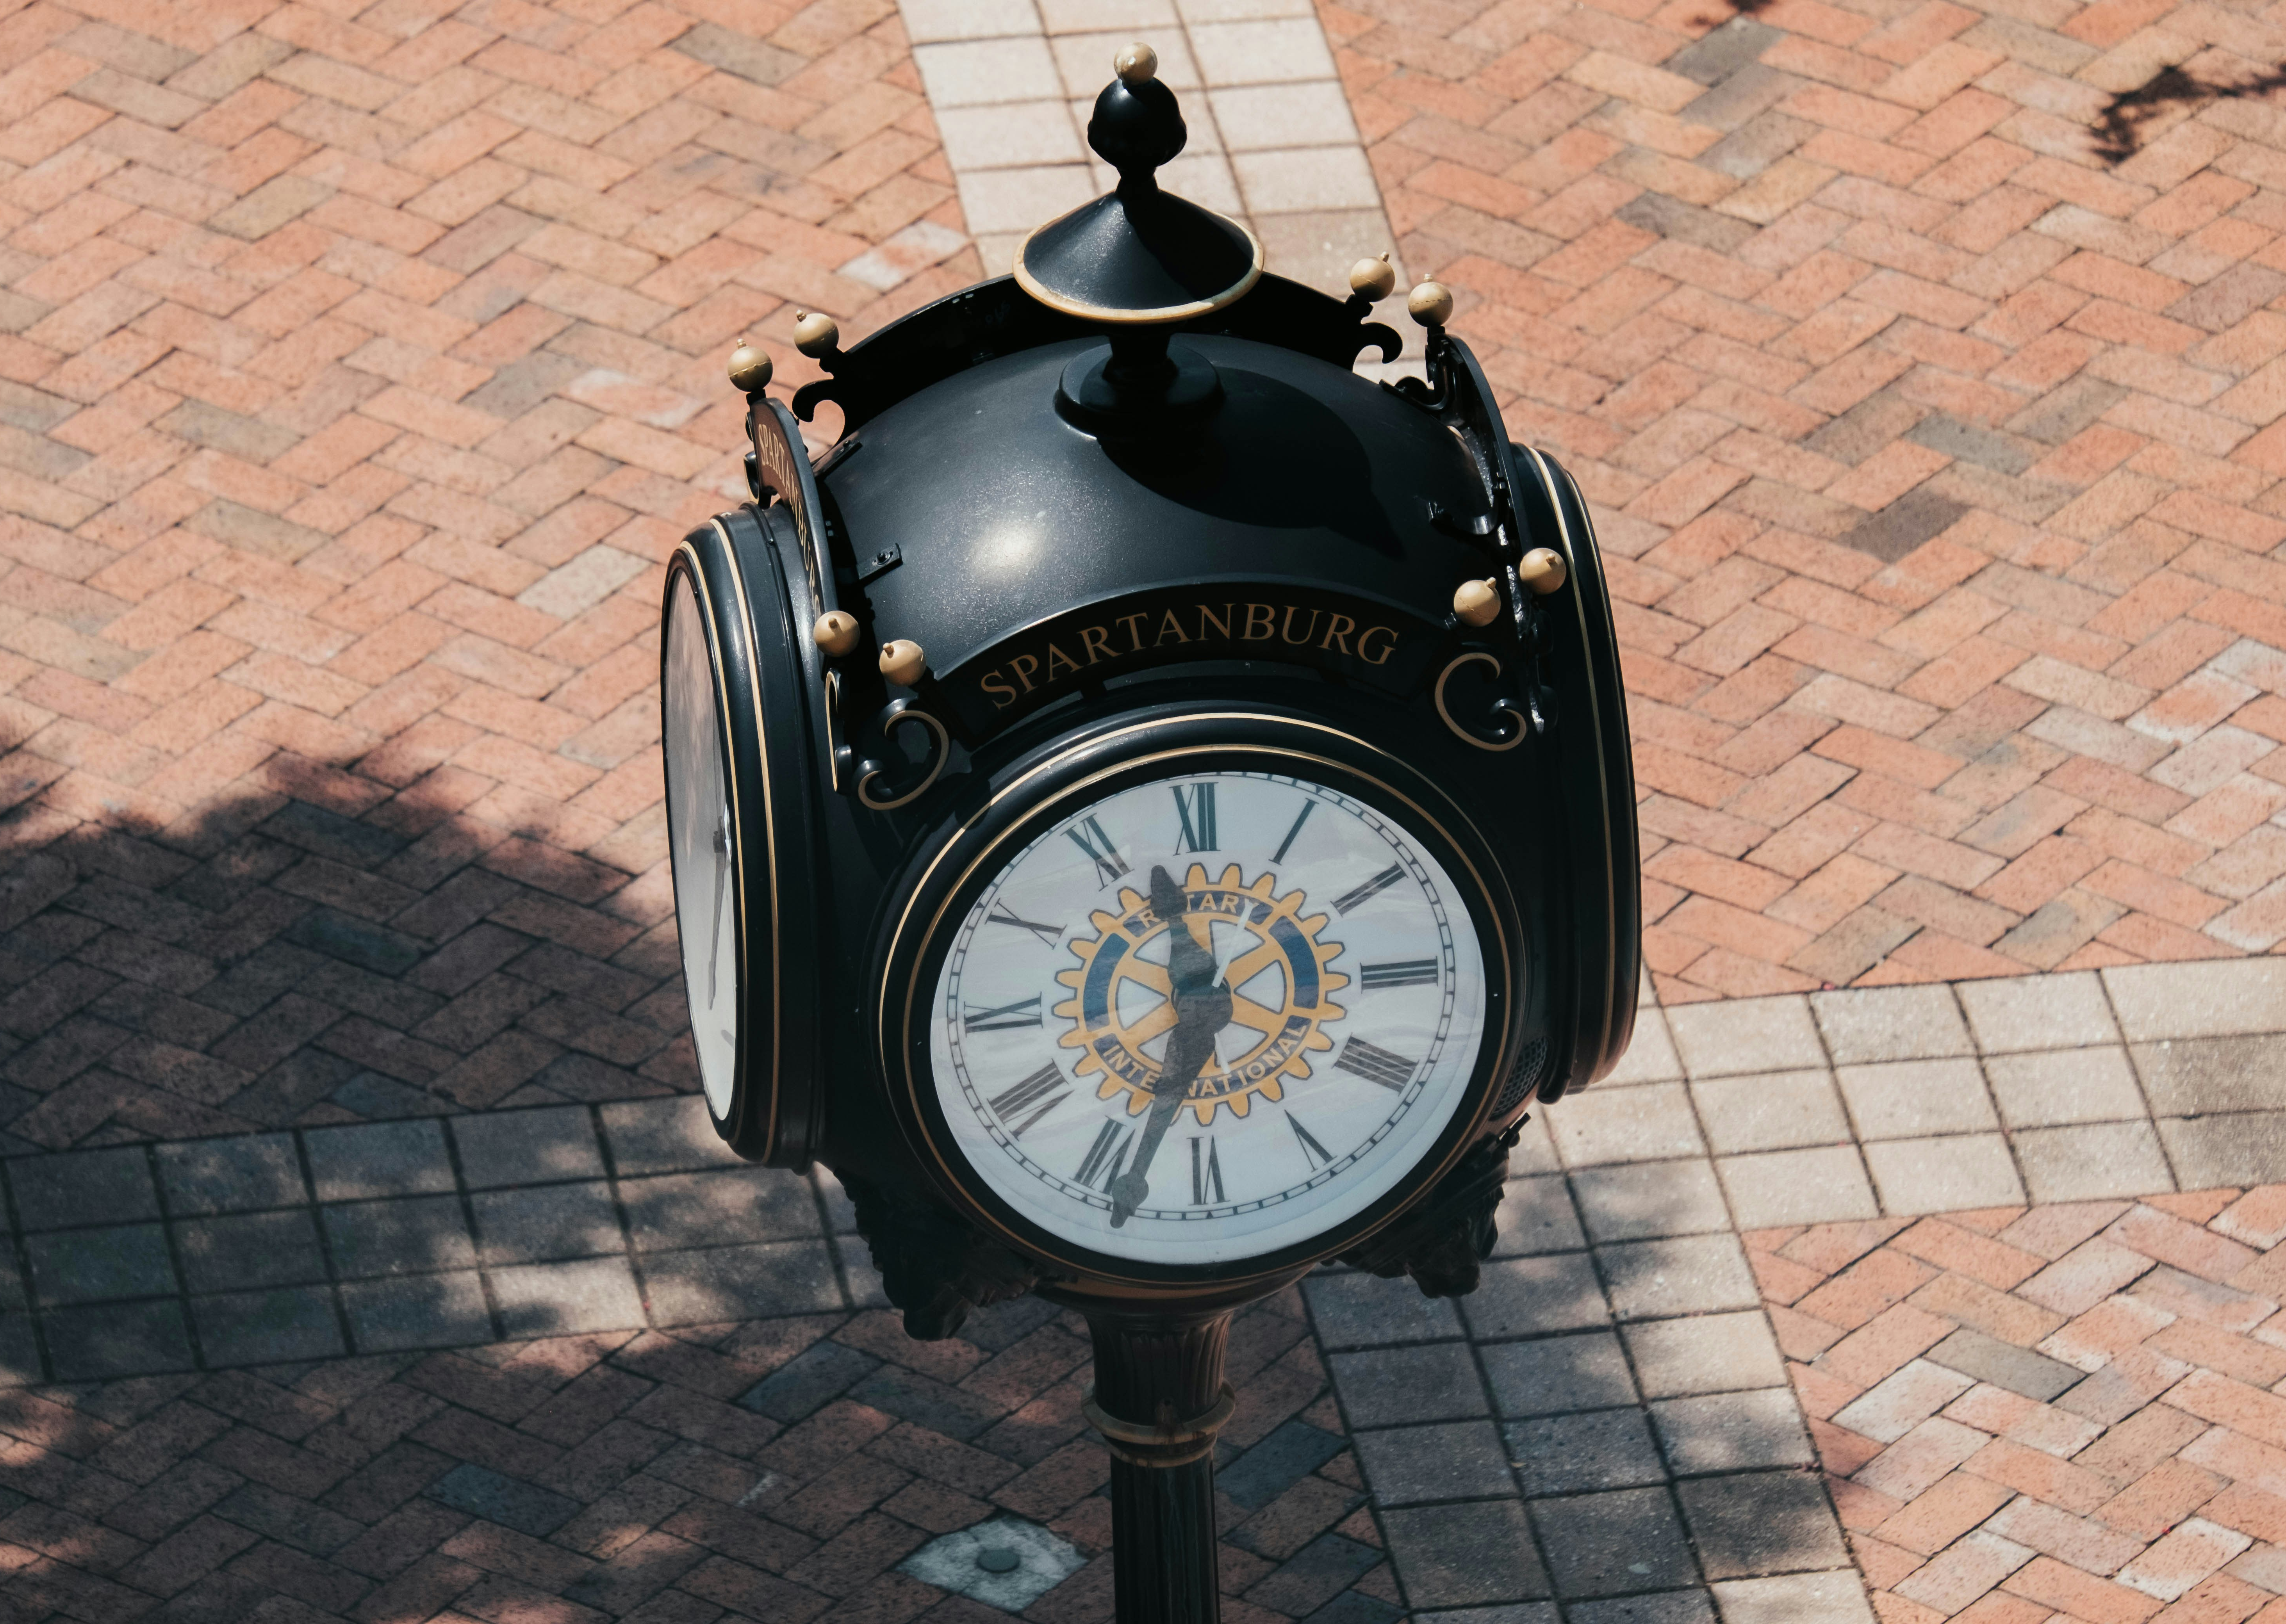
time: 11:33
